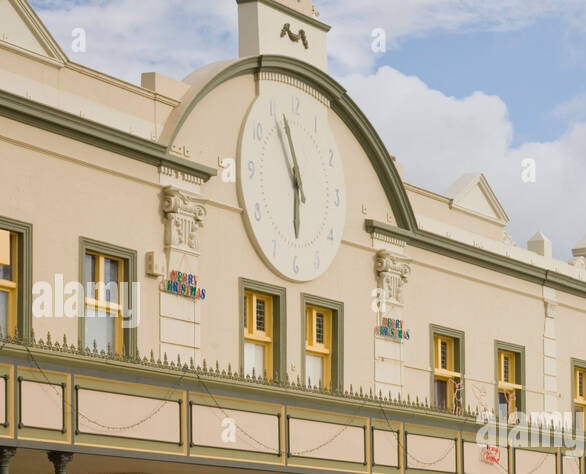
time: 5:57
